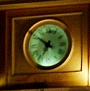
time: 6:51
